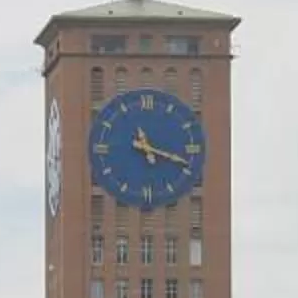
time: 11:18
